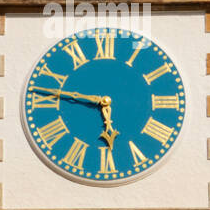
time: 5:46
